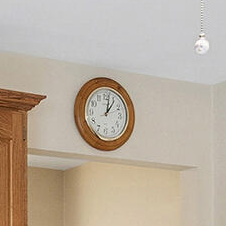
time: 1:01
